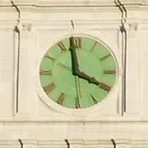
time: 3:58
